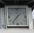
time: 1:36
